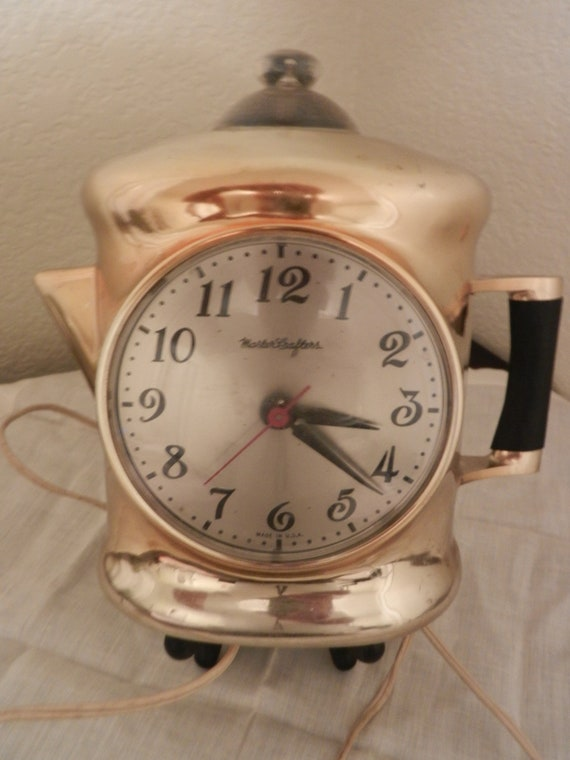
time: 3:21
